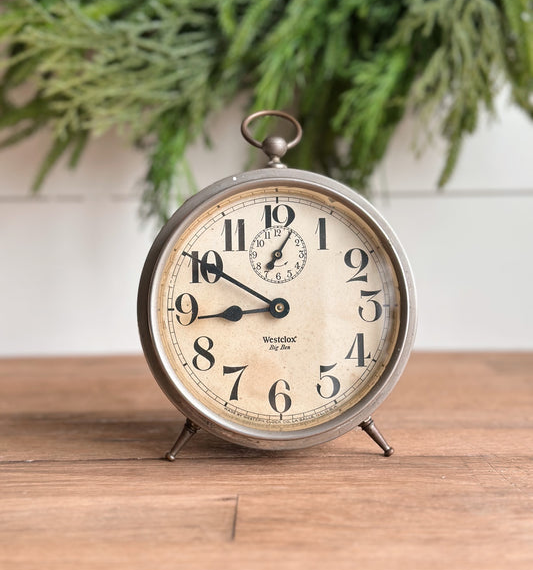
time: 8:50
